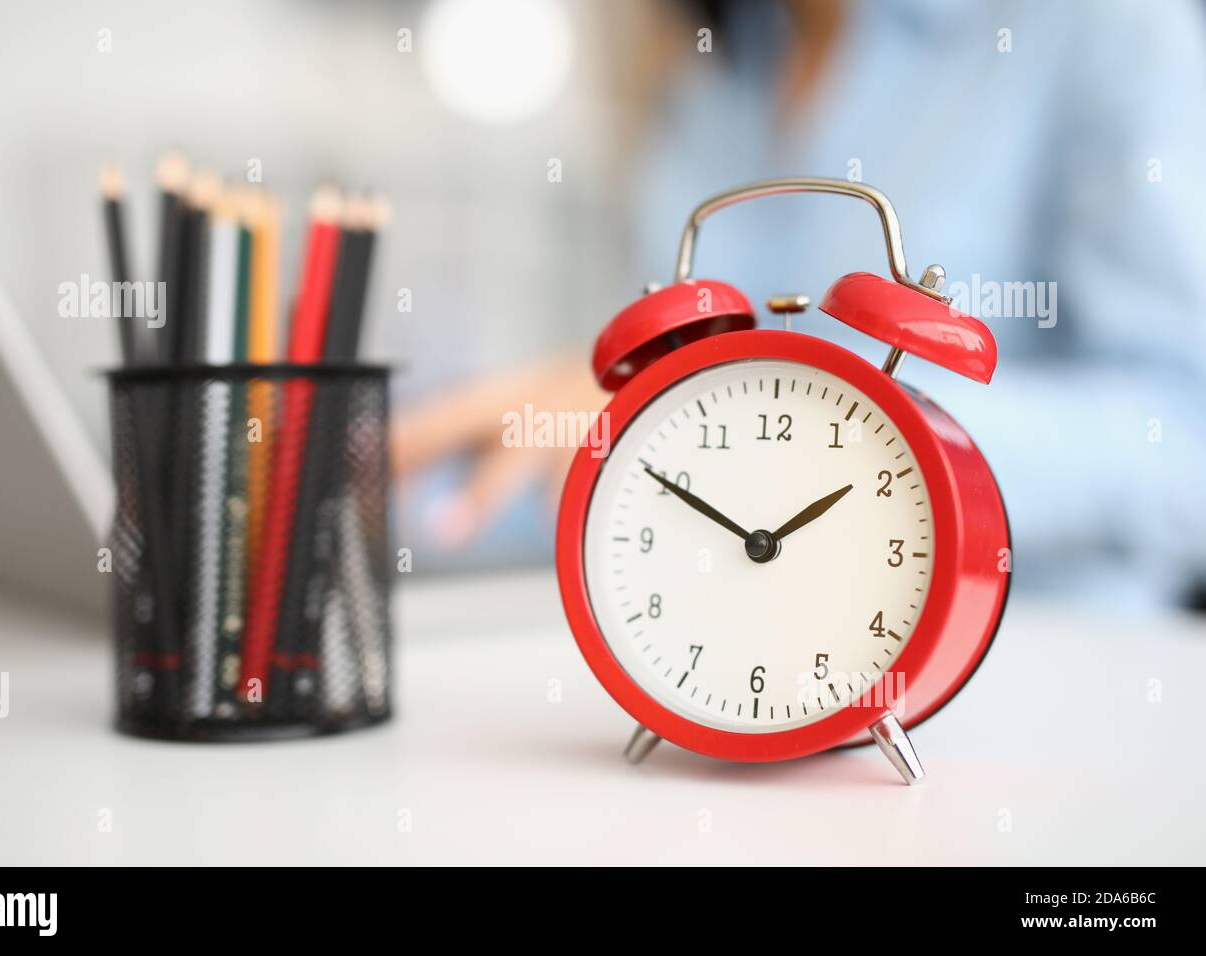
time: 1:49
